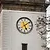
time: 5:09
